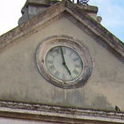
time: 4:58
